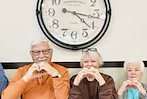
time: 4:17
